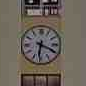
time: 6:18
